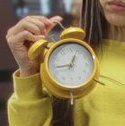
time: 12:43
